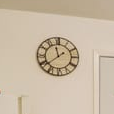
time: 11:38
